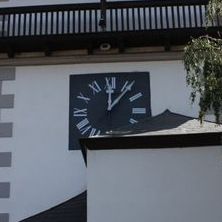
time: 12:06
